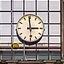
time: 2:59
